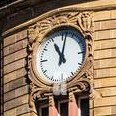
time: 11:02
